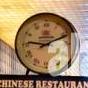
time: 9:11
